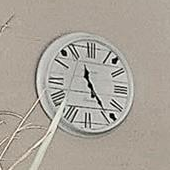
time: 11:24
